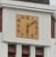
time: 6:08
